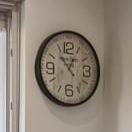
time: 12:53
